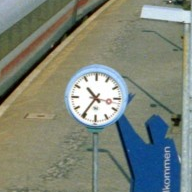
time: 10:35
